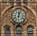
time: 12:03
